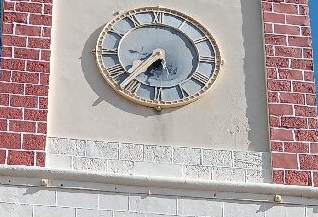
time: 7:36
